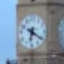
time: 6:20
